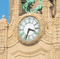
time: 3:33
